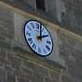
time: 2:02
